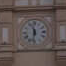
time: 11:32
